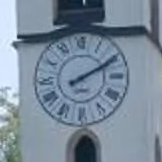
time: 2:10
